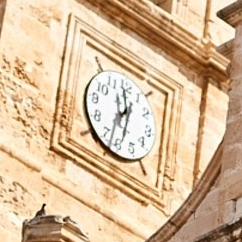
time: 1:32
